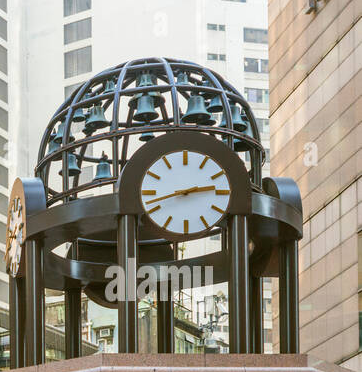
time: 2:42
